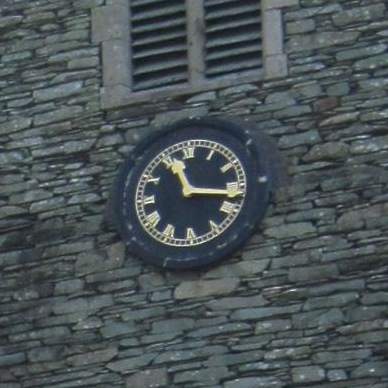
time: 11:17
